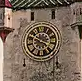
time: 3:48
